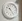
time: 10:24
